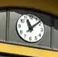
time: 11:07
